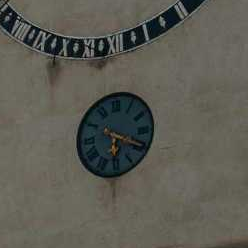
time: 6:19
